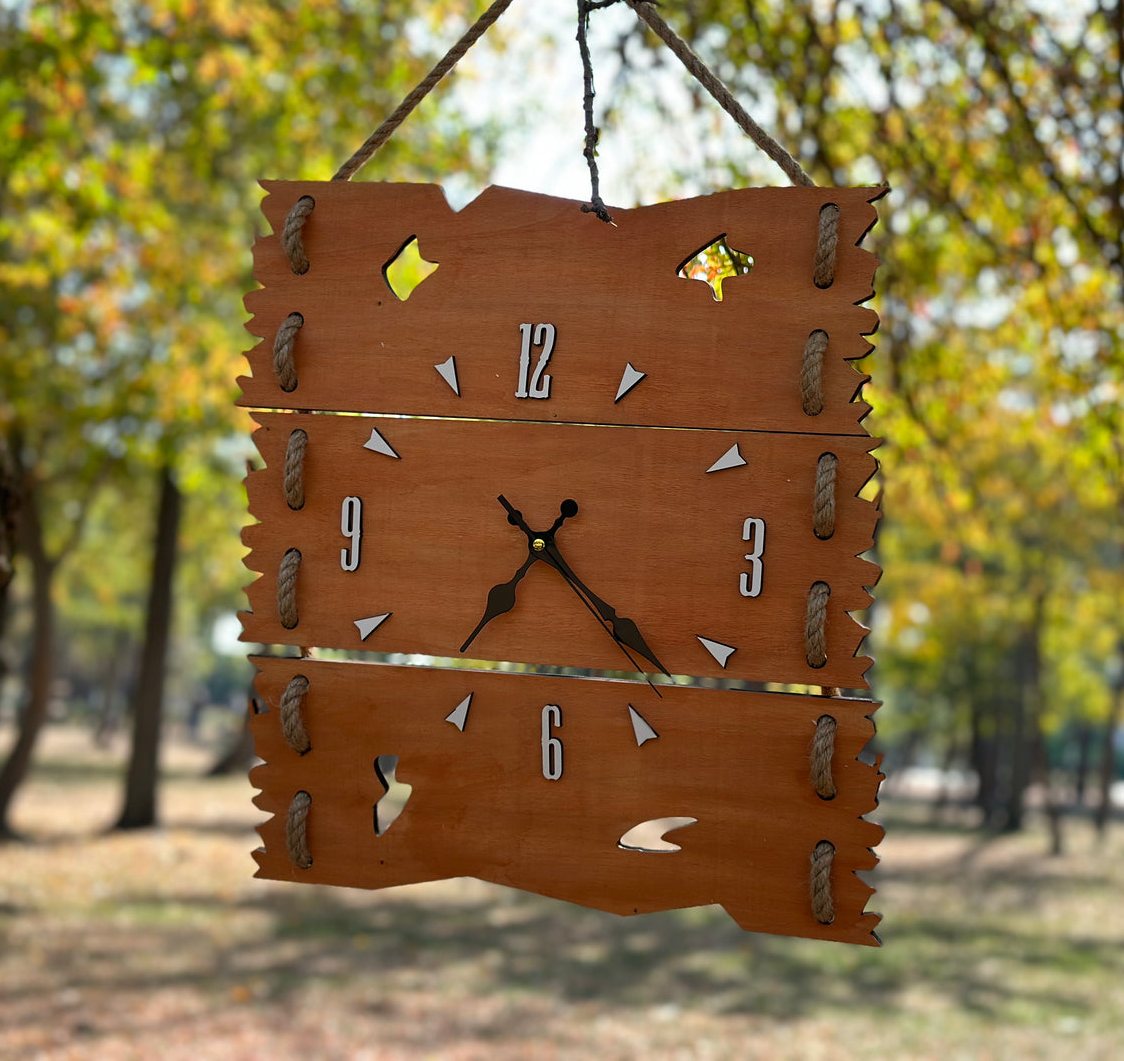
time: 7:22
